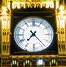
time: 7:23
